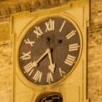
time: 5:38
